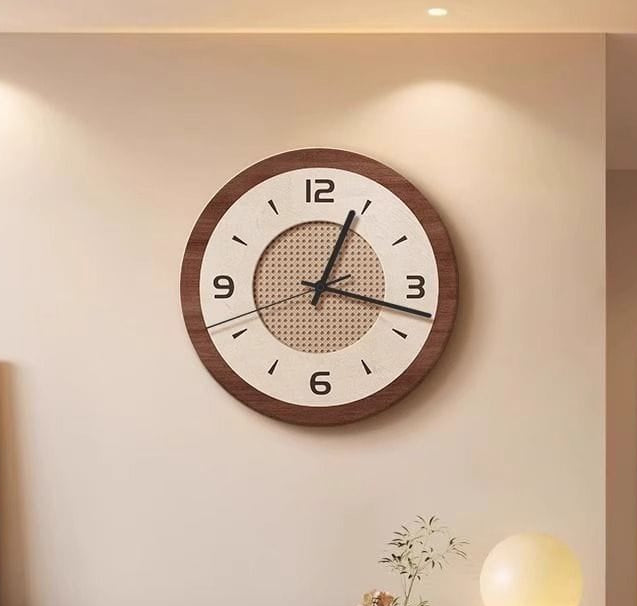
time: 1:17
